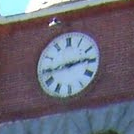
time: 2:43
